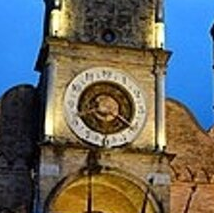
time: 8:20
